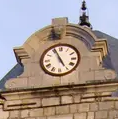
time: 4:56
